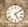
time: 5:08
